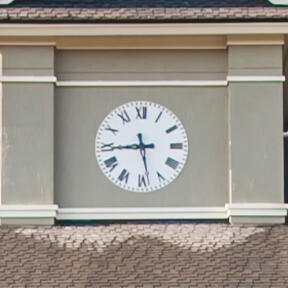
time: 5:44
